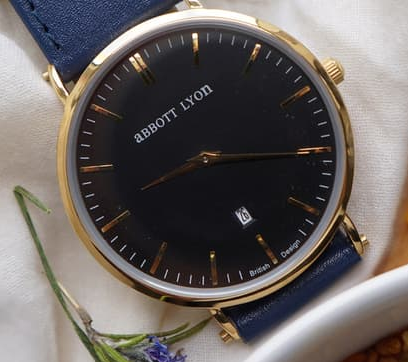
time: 8:15
